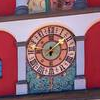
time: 6:08
